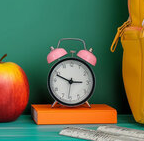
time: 2:48
